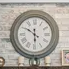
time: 5:50
